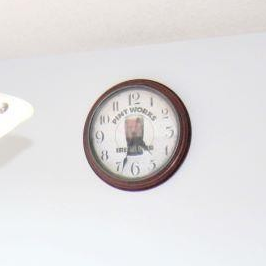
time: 4:33
